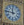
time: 11:46
